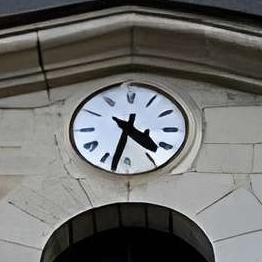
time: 4:32
